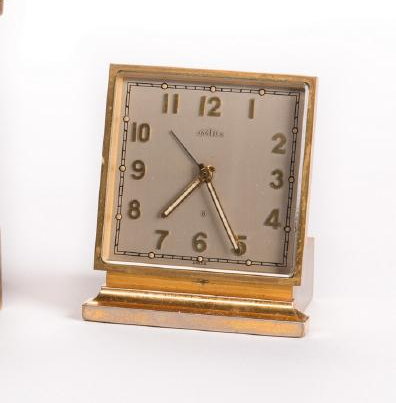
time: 7:25
